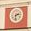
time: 2:32
